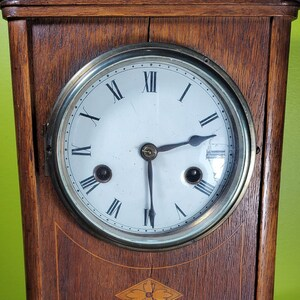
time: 2:29
